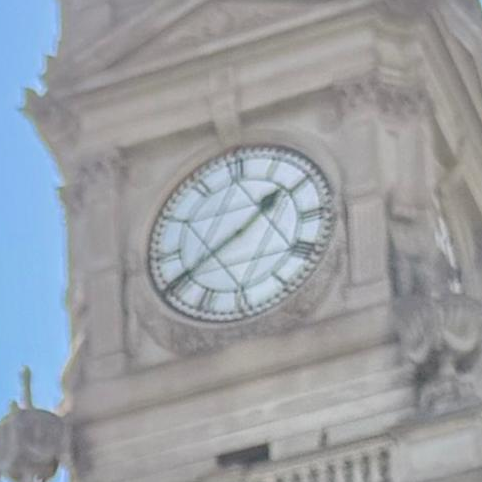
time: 1:40
